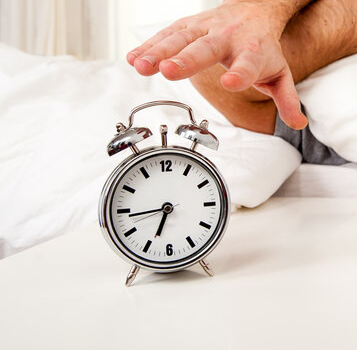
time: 6:43
